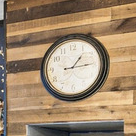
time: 1:14
